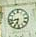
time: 6:43
